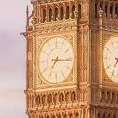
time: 7:15
